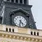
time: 4:32
